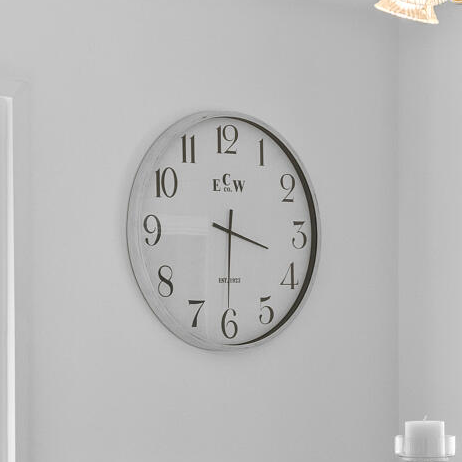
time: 3:30
